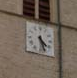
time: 4:26
